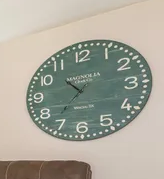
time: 10:36
